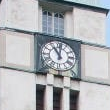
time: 11:01
